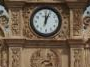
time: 12:04
